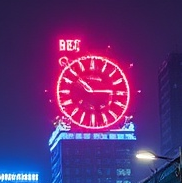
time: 10:14
